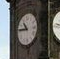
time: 10:45
